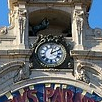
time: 2:02
